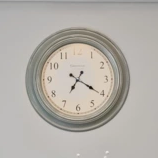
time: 7:20
